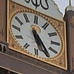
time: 5:24
